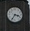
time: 3:35
